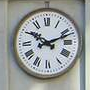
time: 10:11
